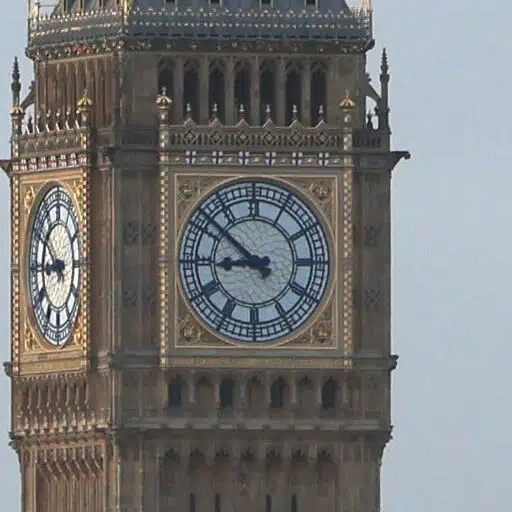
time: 8:51
